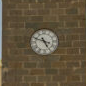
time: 4:48
